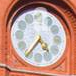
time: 4:36
